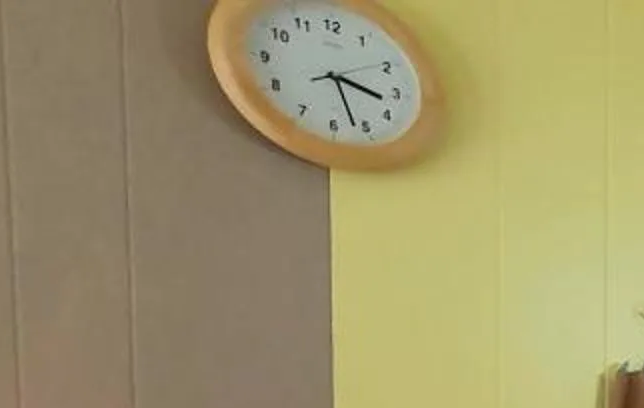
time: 3:26
